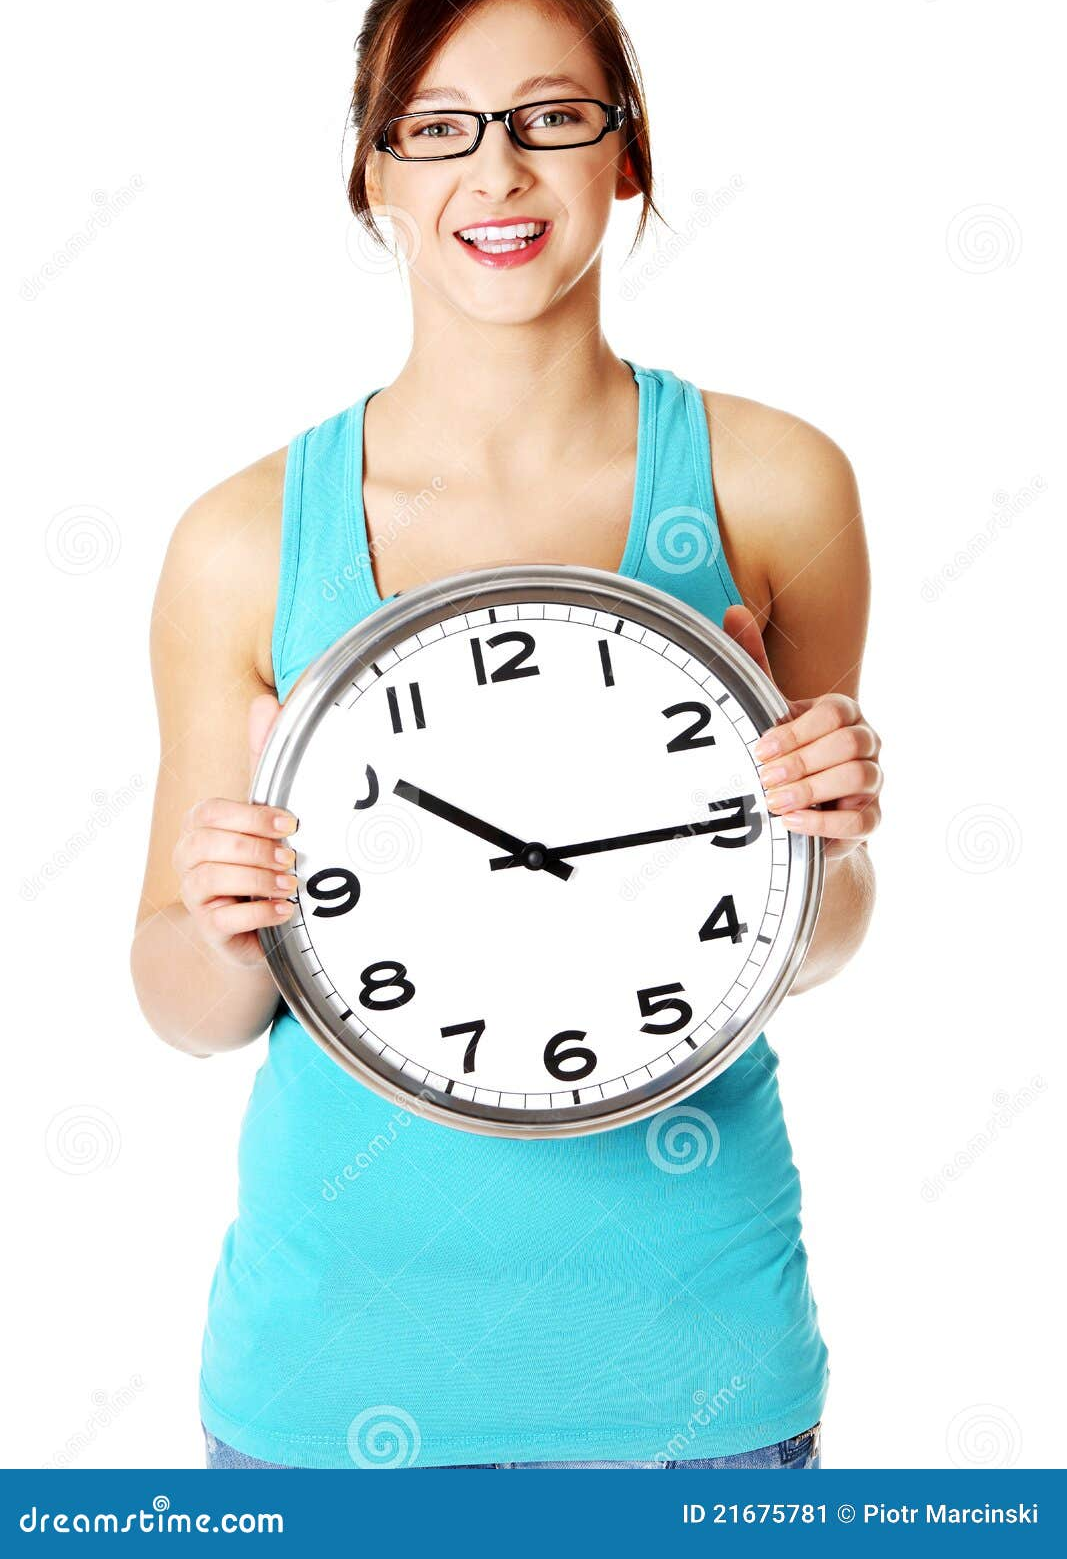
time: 10:15
